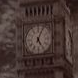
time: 5:03
